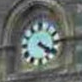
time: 4:20
